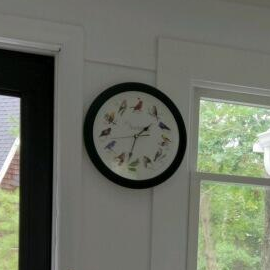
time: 1:32
